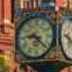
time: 9:22
